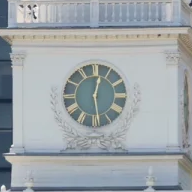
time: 12:28
